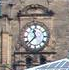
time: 11:37
